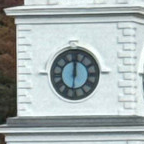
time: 12:00
